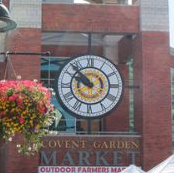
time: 9:53
